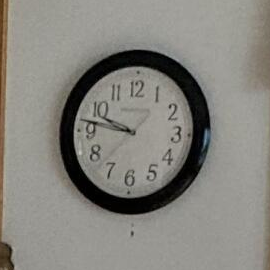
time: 9:46
